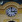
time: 3:01
